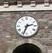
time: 2:33
